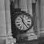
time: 11:23
